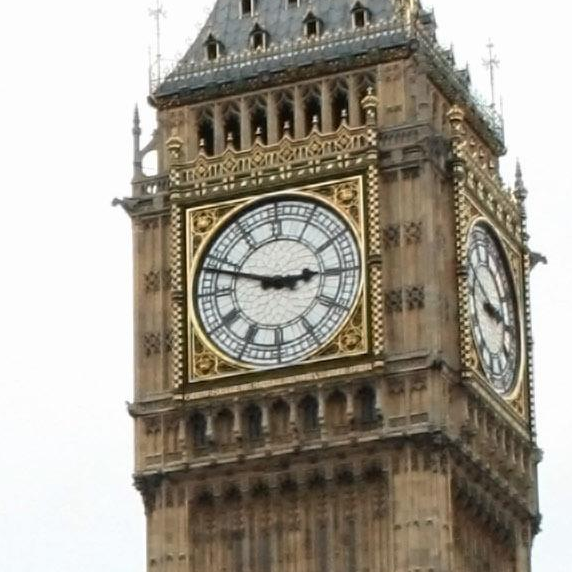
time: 2:48
